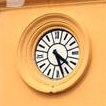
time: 4:27
